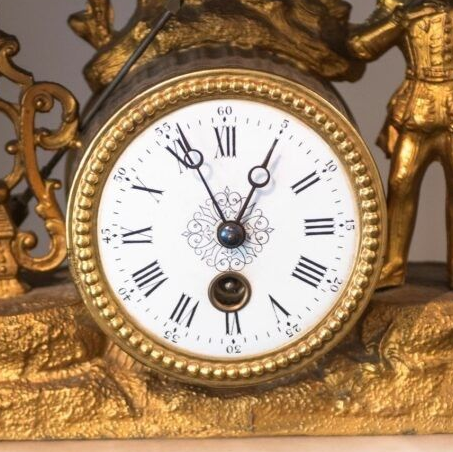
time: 12:55
